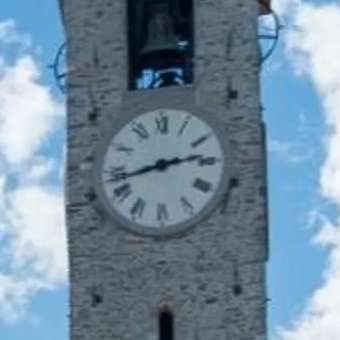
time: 2:42
